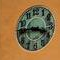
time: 3:45
